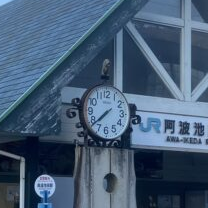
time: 7:38
